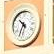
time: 10:34
